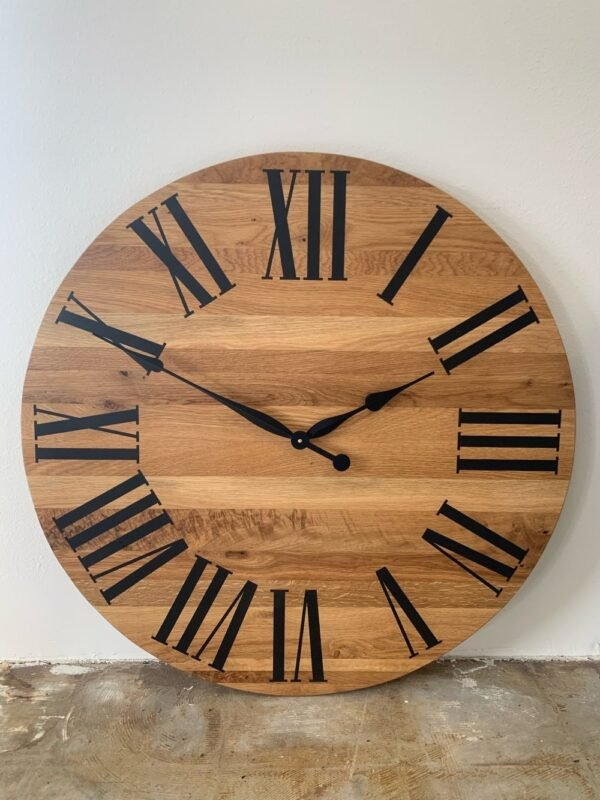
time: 1:50
